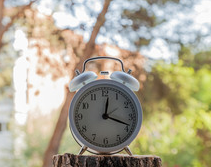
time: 12:18
